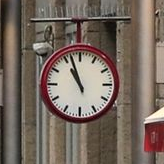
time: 10:56
